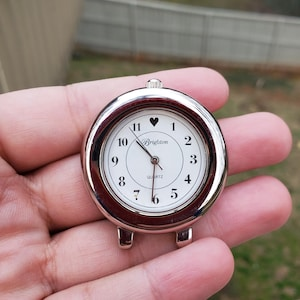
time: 10:31
